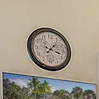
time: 1:18
